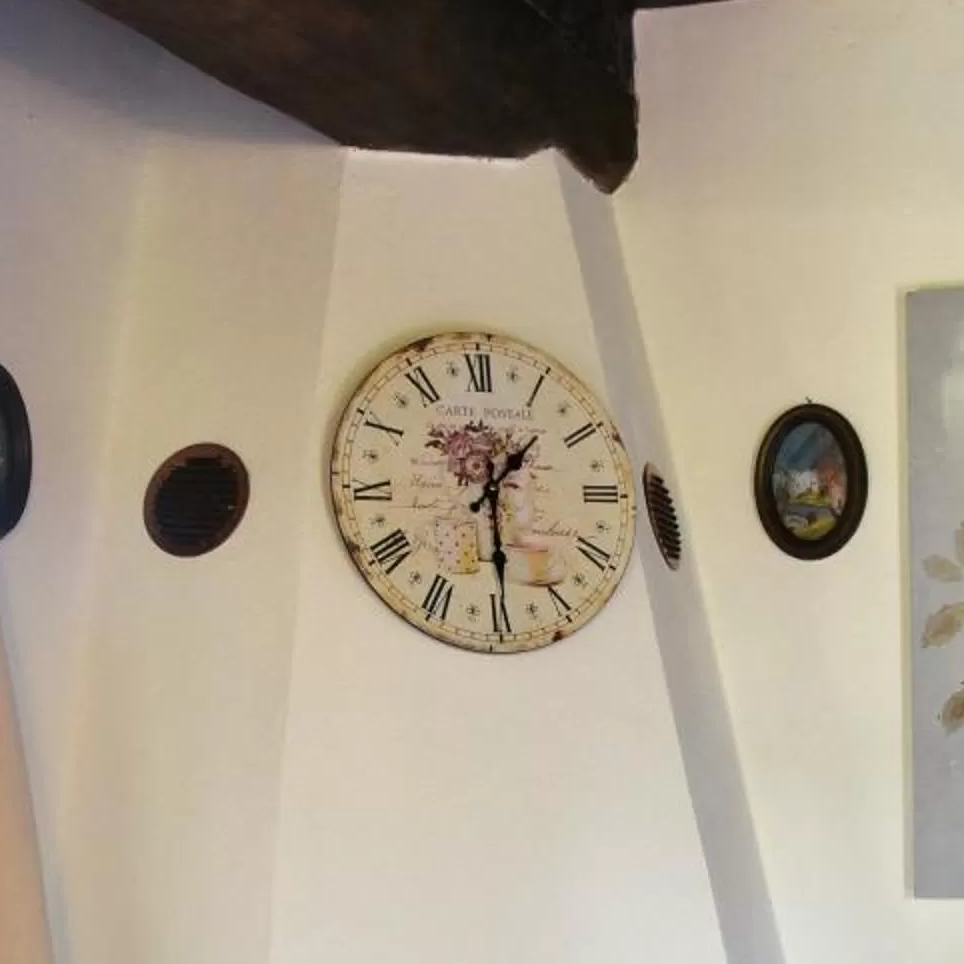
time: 1:29
